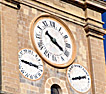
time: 10:20
